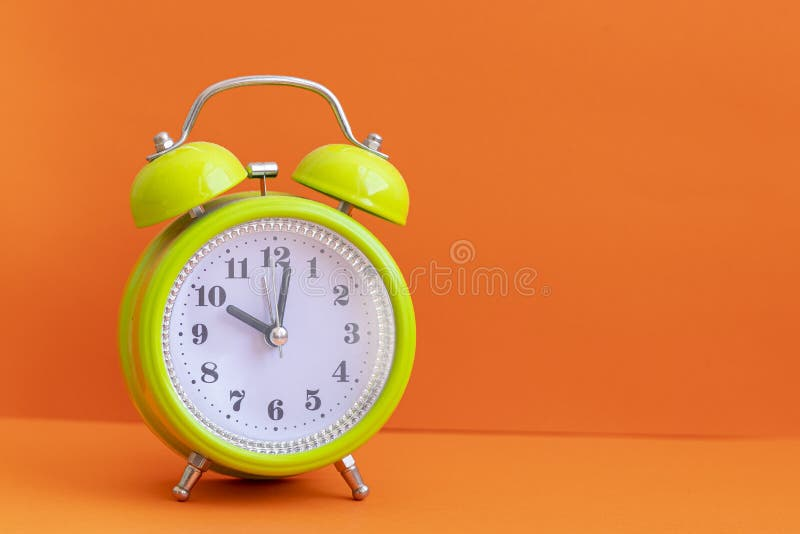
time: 10:01
